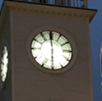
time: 5:59
